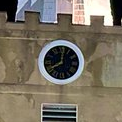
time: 8:01
